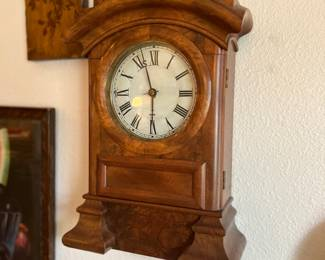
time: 11:29
